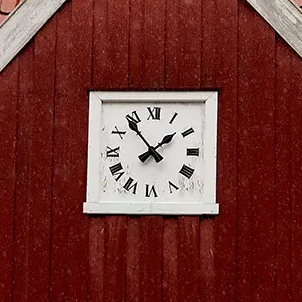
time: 1:53
